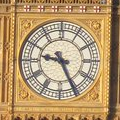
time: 9:25
